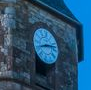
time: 8:12
